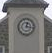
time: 12:16
